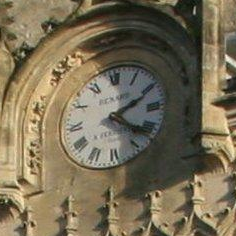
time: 2:21
